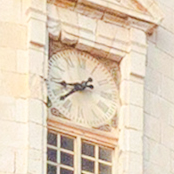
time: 8:38
